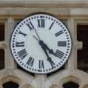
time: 4:25
